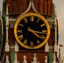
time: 4:17
